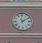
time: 11:09
